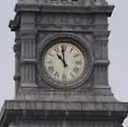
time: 10:59
